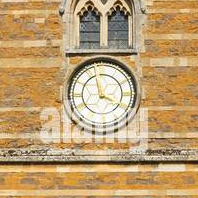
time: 3:57
